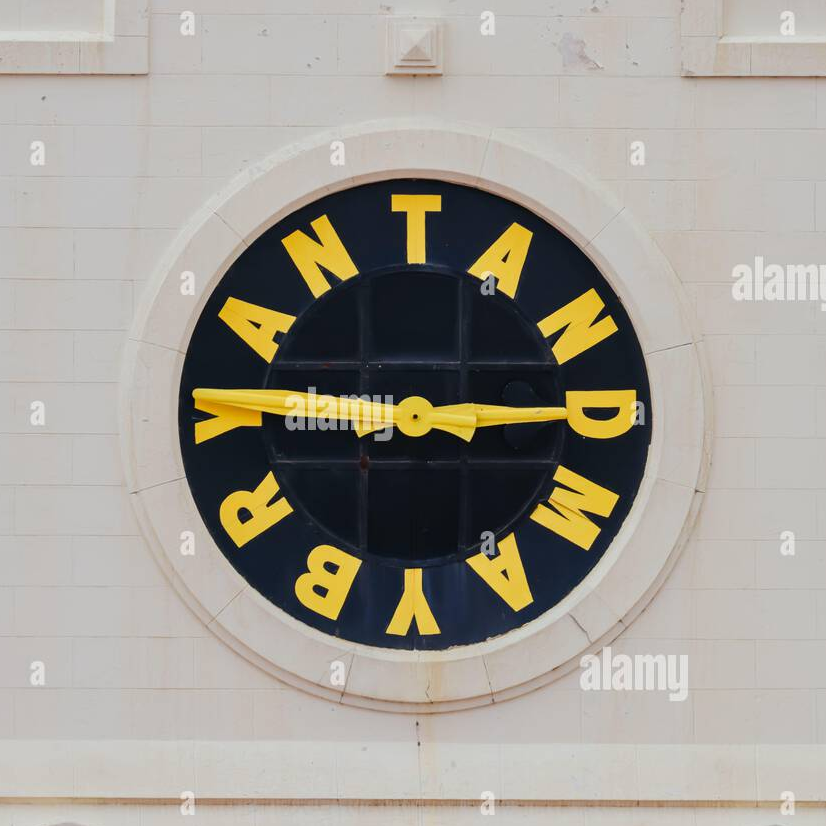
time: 9:14
